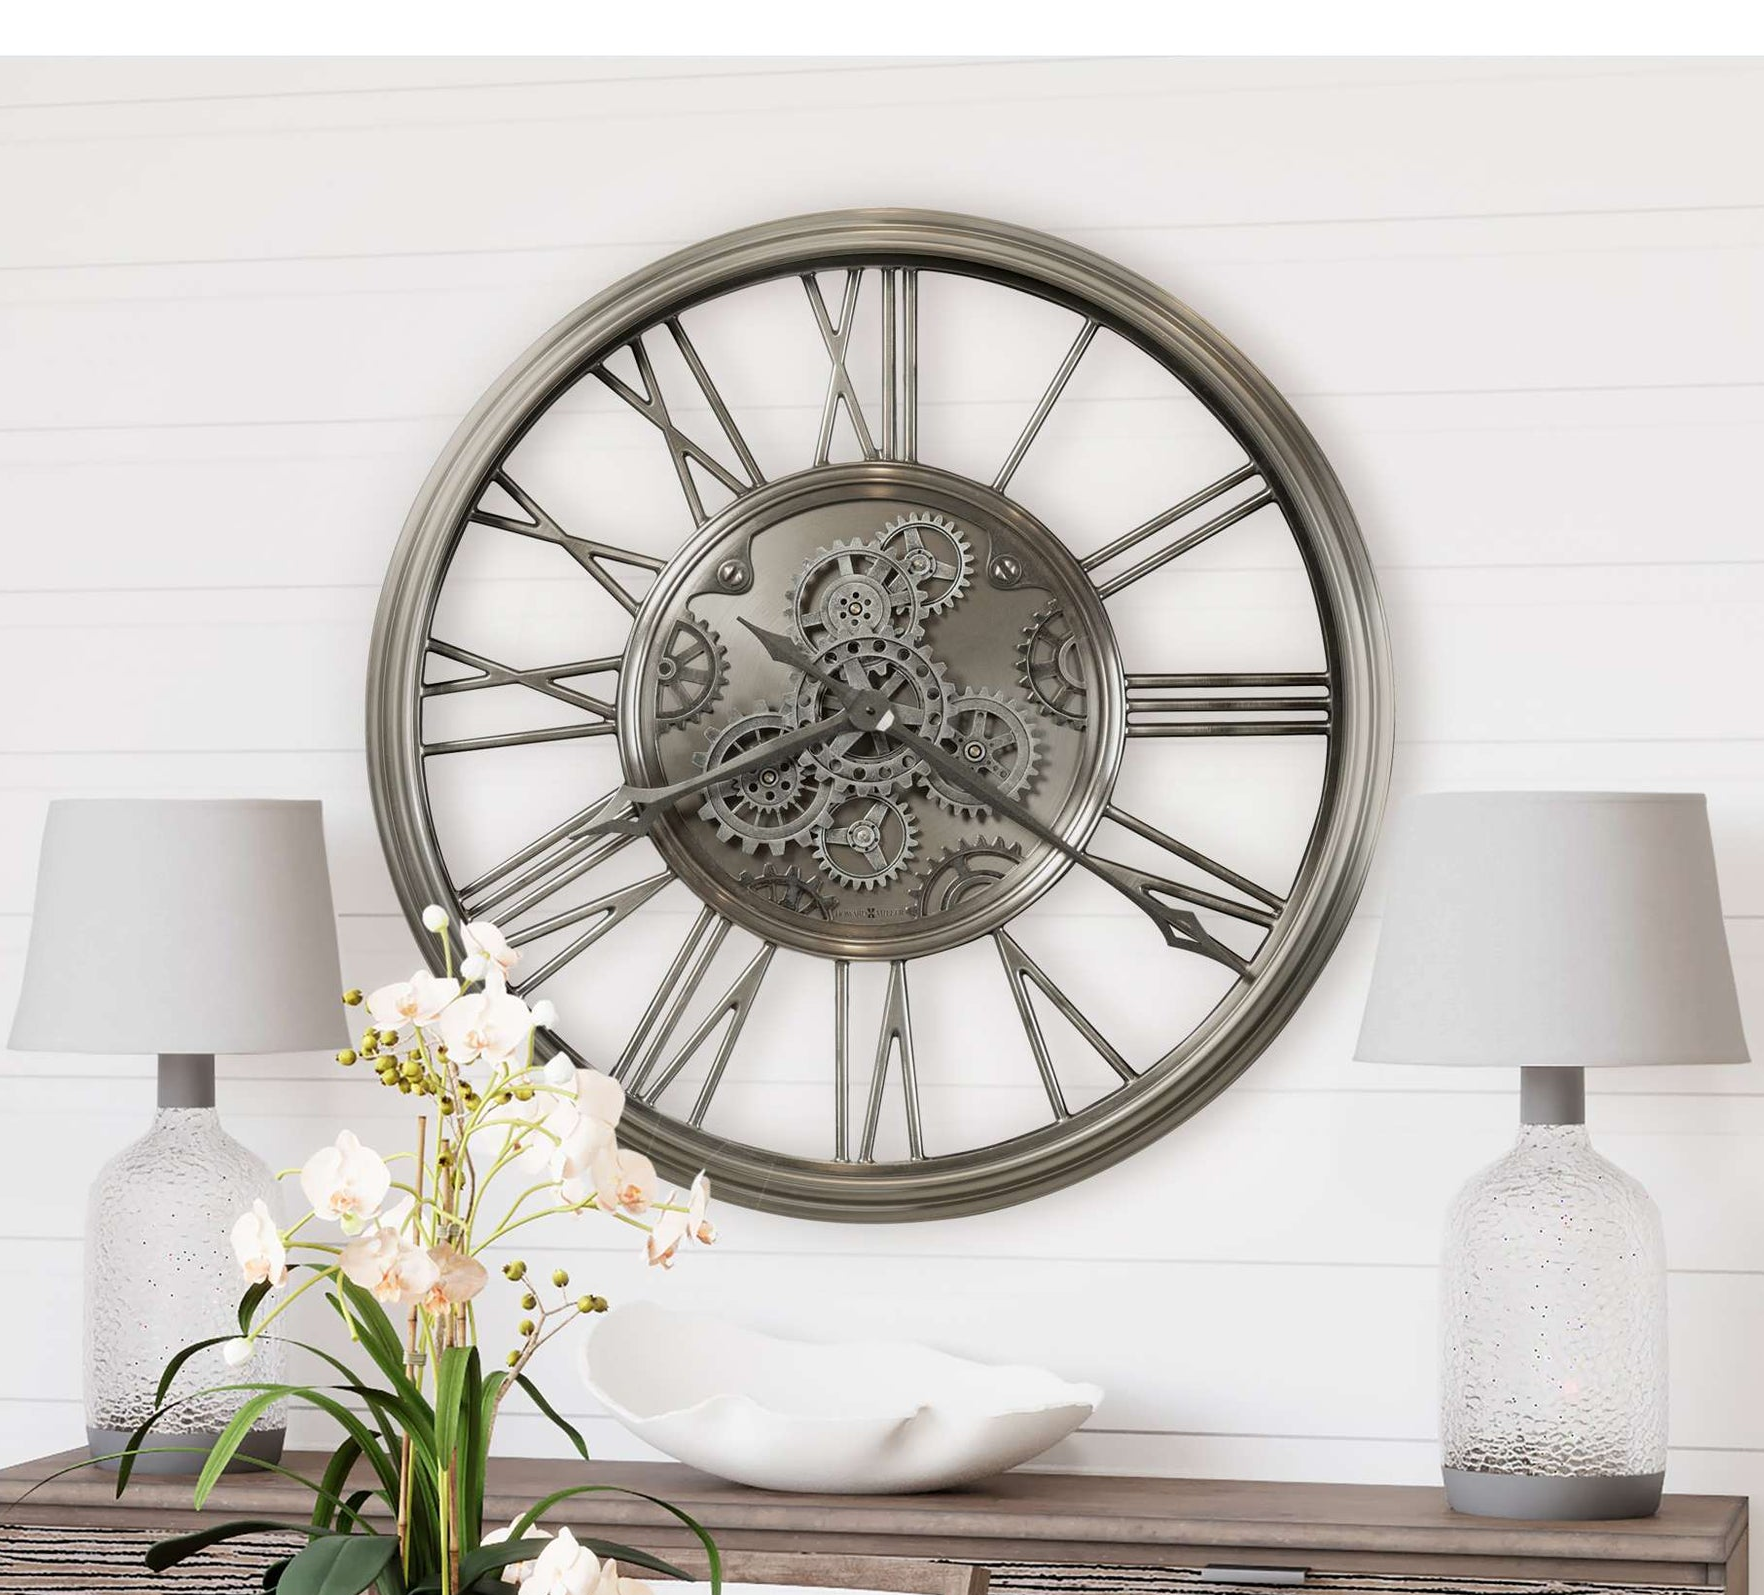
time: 8:20
